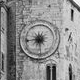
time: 6:43
